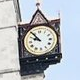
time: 9:53
